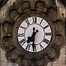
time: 7:30
